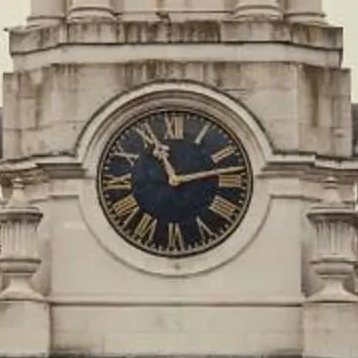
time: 11:12
